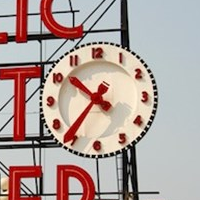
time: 10:36
